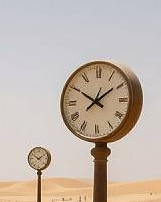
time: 1:50
